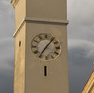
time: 7:06
